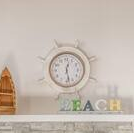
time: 12:28
